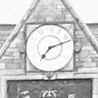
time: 7:12
